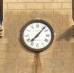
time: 7:06
